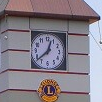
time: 12:38
